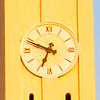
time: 6:48
